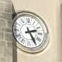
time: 2:25
